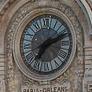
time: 7:11
